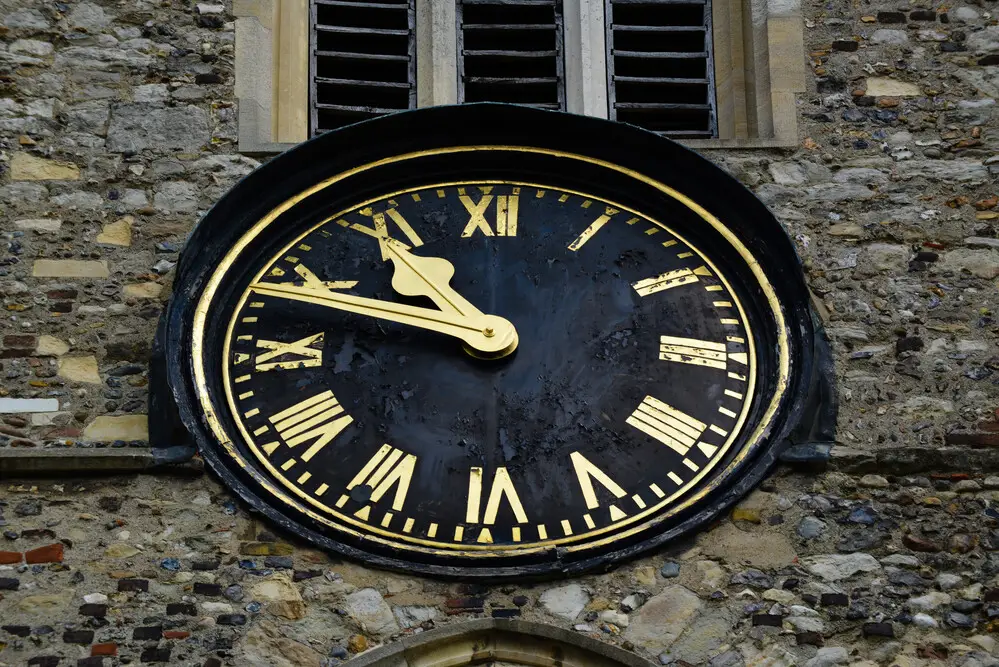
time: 10:48
